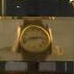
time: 2:42
